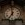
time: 6:59
